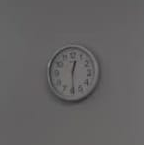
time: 12:29
